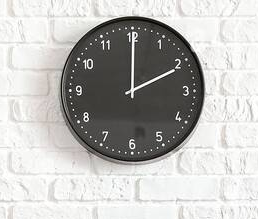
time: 2:00
